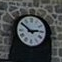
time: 2:50
